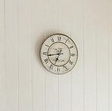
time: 6:43
